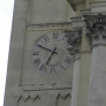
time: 6:49
